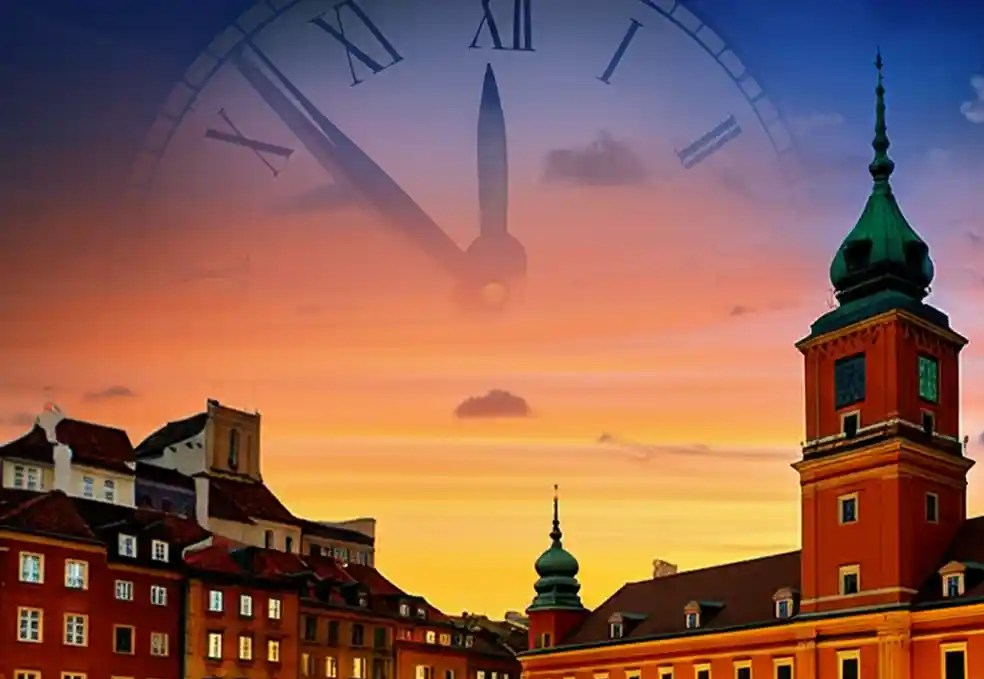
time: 11:51
